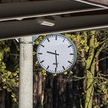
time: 9:29
